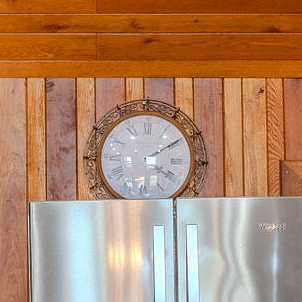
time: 4:09
